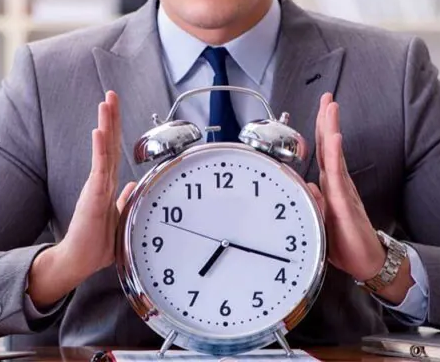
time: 7:17
